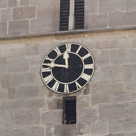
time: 11:46
